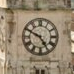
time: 4:49
